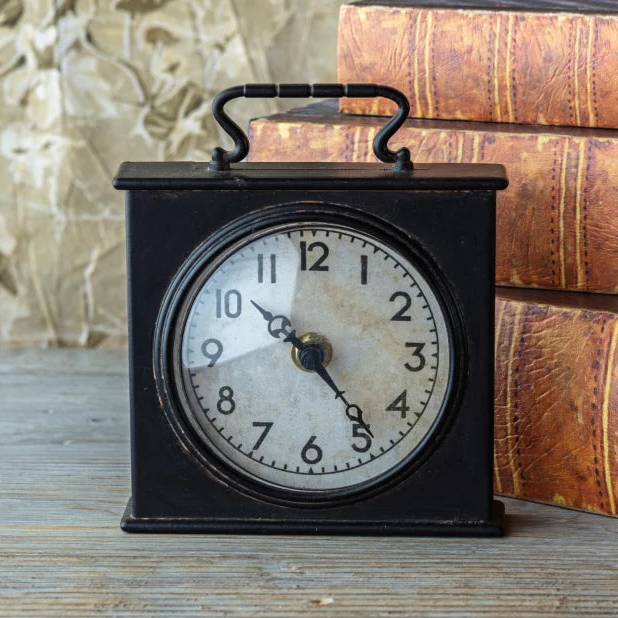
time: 10:23
